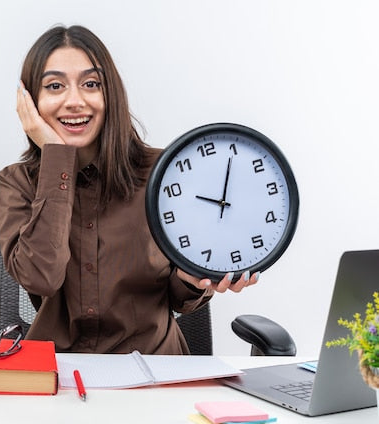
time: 10:04
